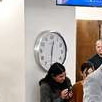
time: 12:30
